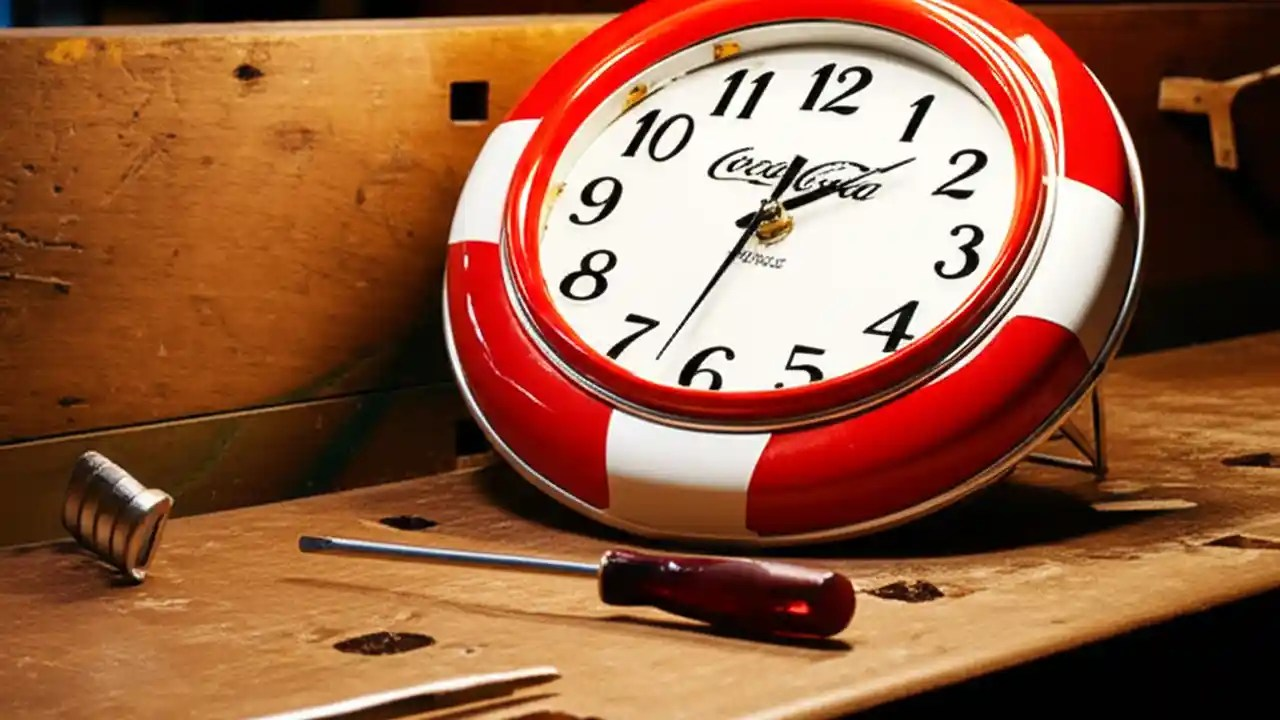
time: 1:32
